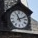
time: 11:11
